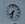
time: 7:32
